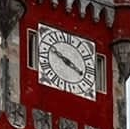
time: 3:48
